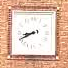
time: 8:40
